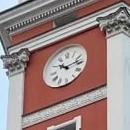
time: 10:13
